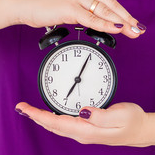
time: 7:04
